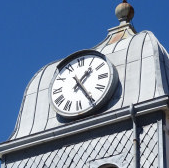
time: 1:24
